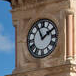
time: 1:56
